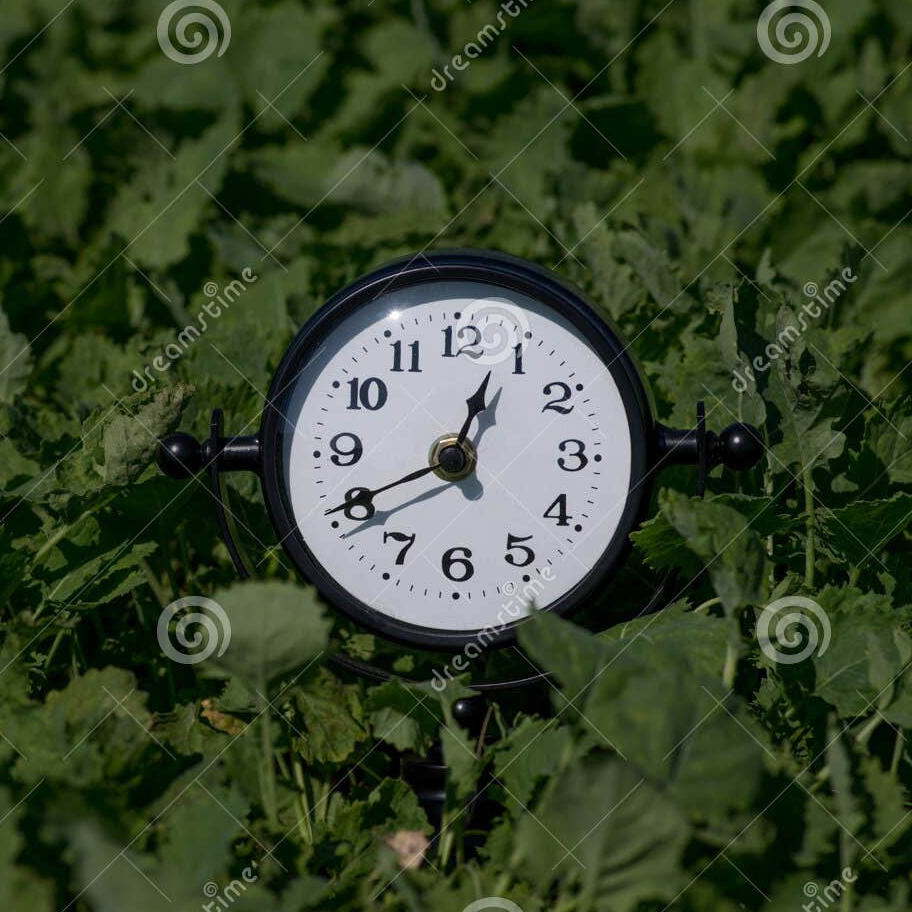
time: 12:41
